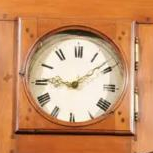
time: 9:08
